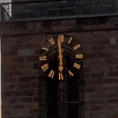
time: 5:59
